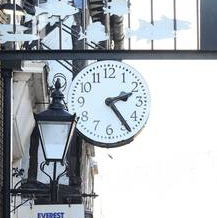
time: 2:24
